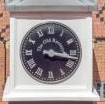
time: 3:17
